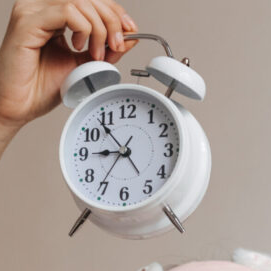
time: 8:53
